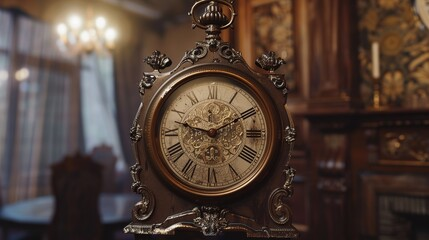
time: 9:10
